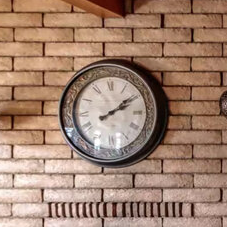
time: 2:09
